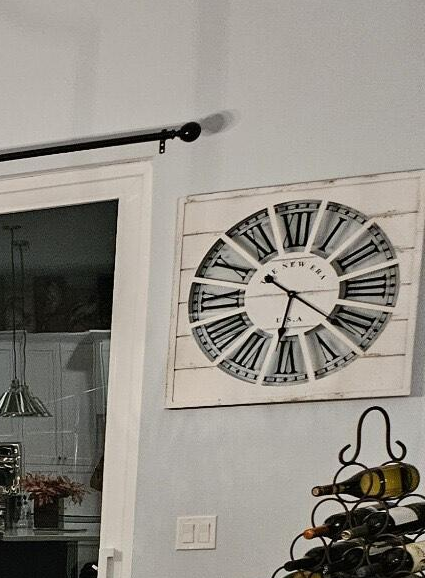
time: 6:21
